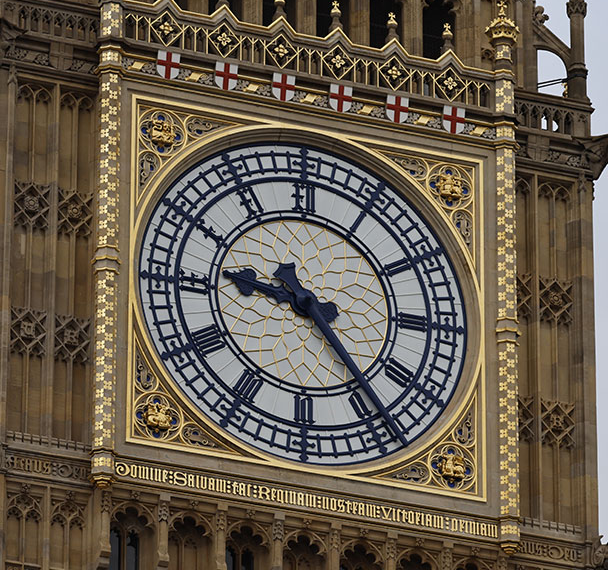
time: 9:23
